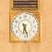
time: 6:27
